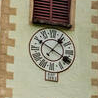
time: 1:19
